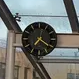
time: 7:21
